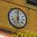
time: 5:59
